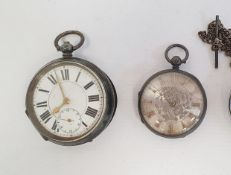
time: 7:56
